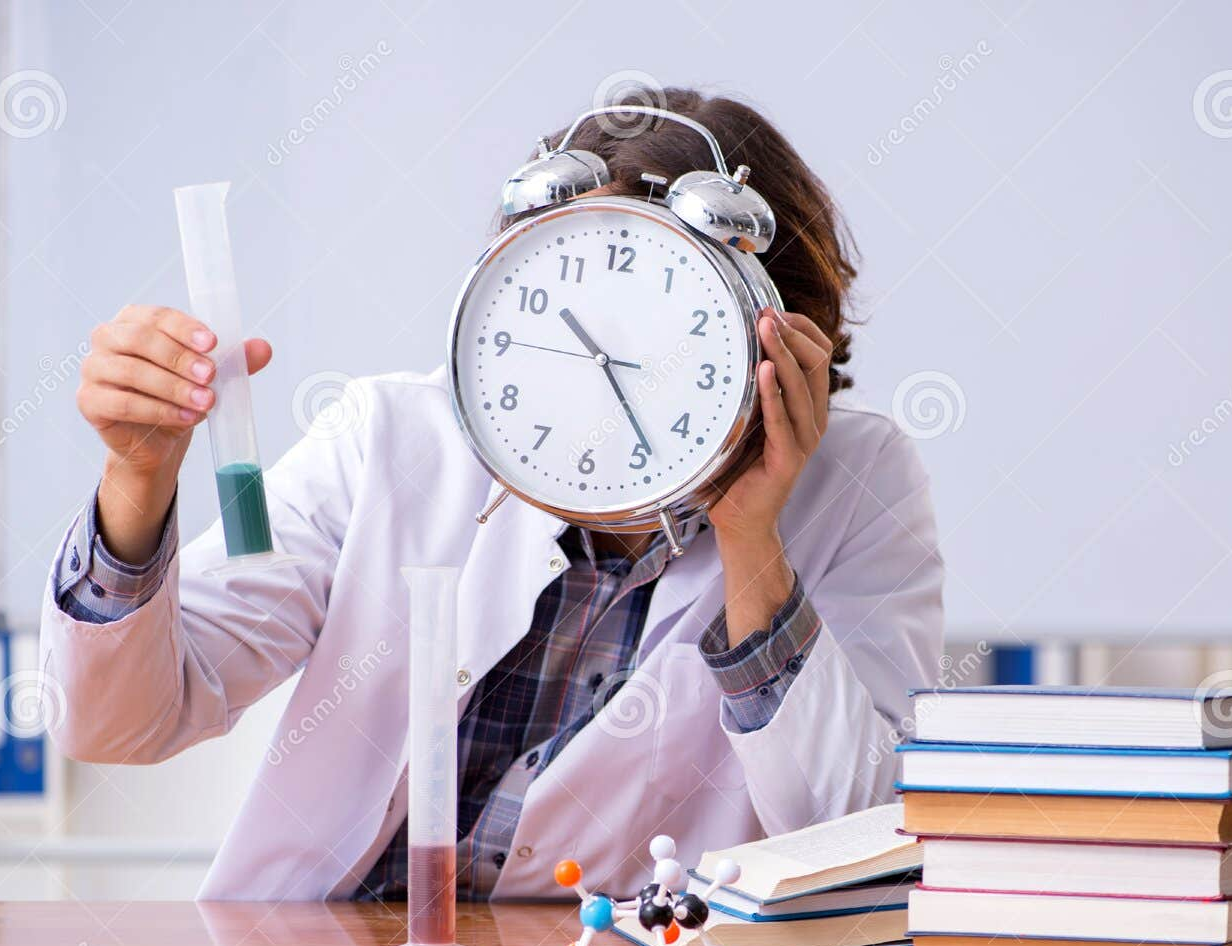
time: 10:23
